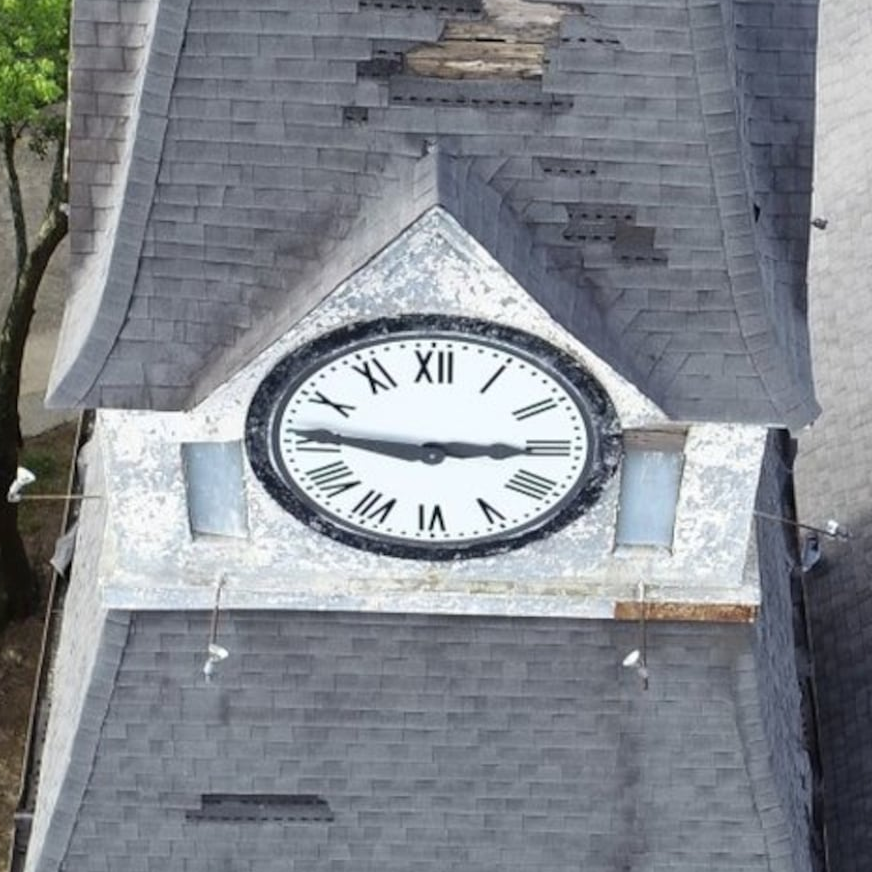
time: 9:15
